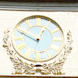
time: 12:49
